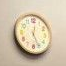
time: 12:26
